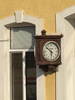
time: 5:51
